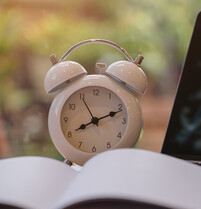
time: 8:11
